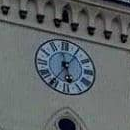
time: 5:36
